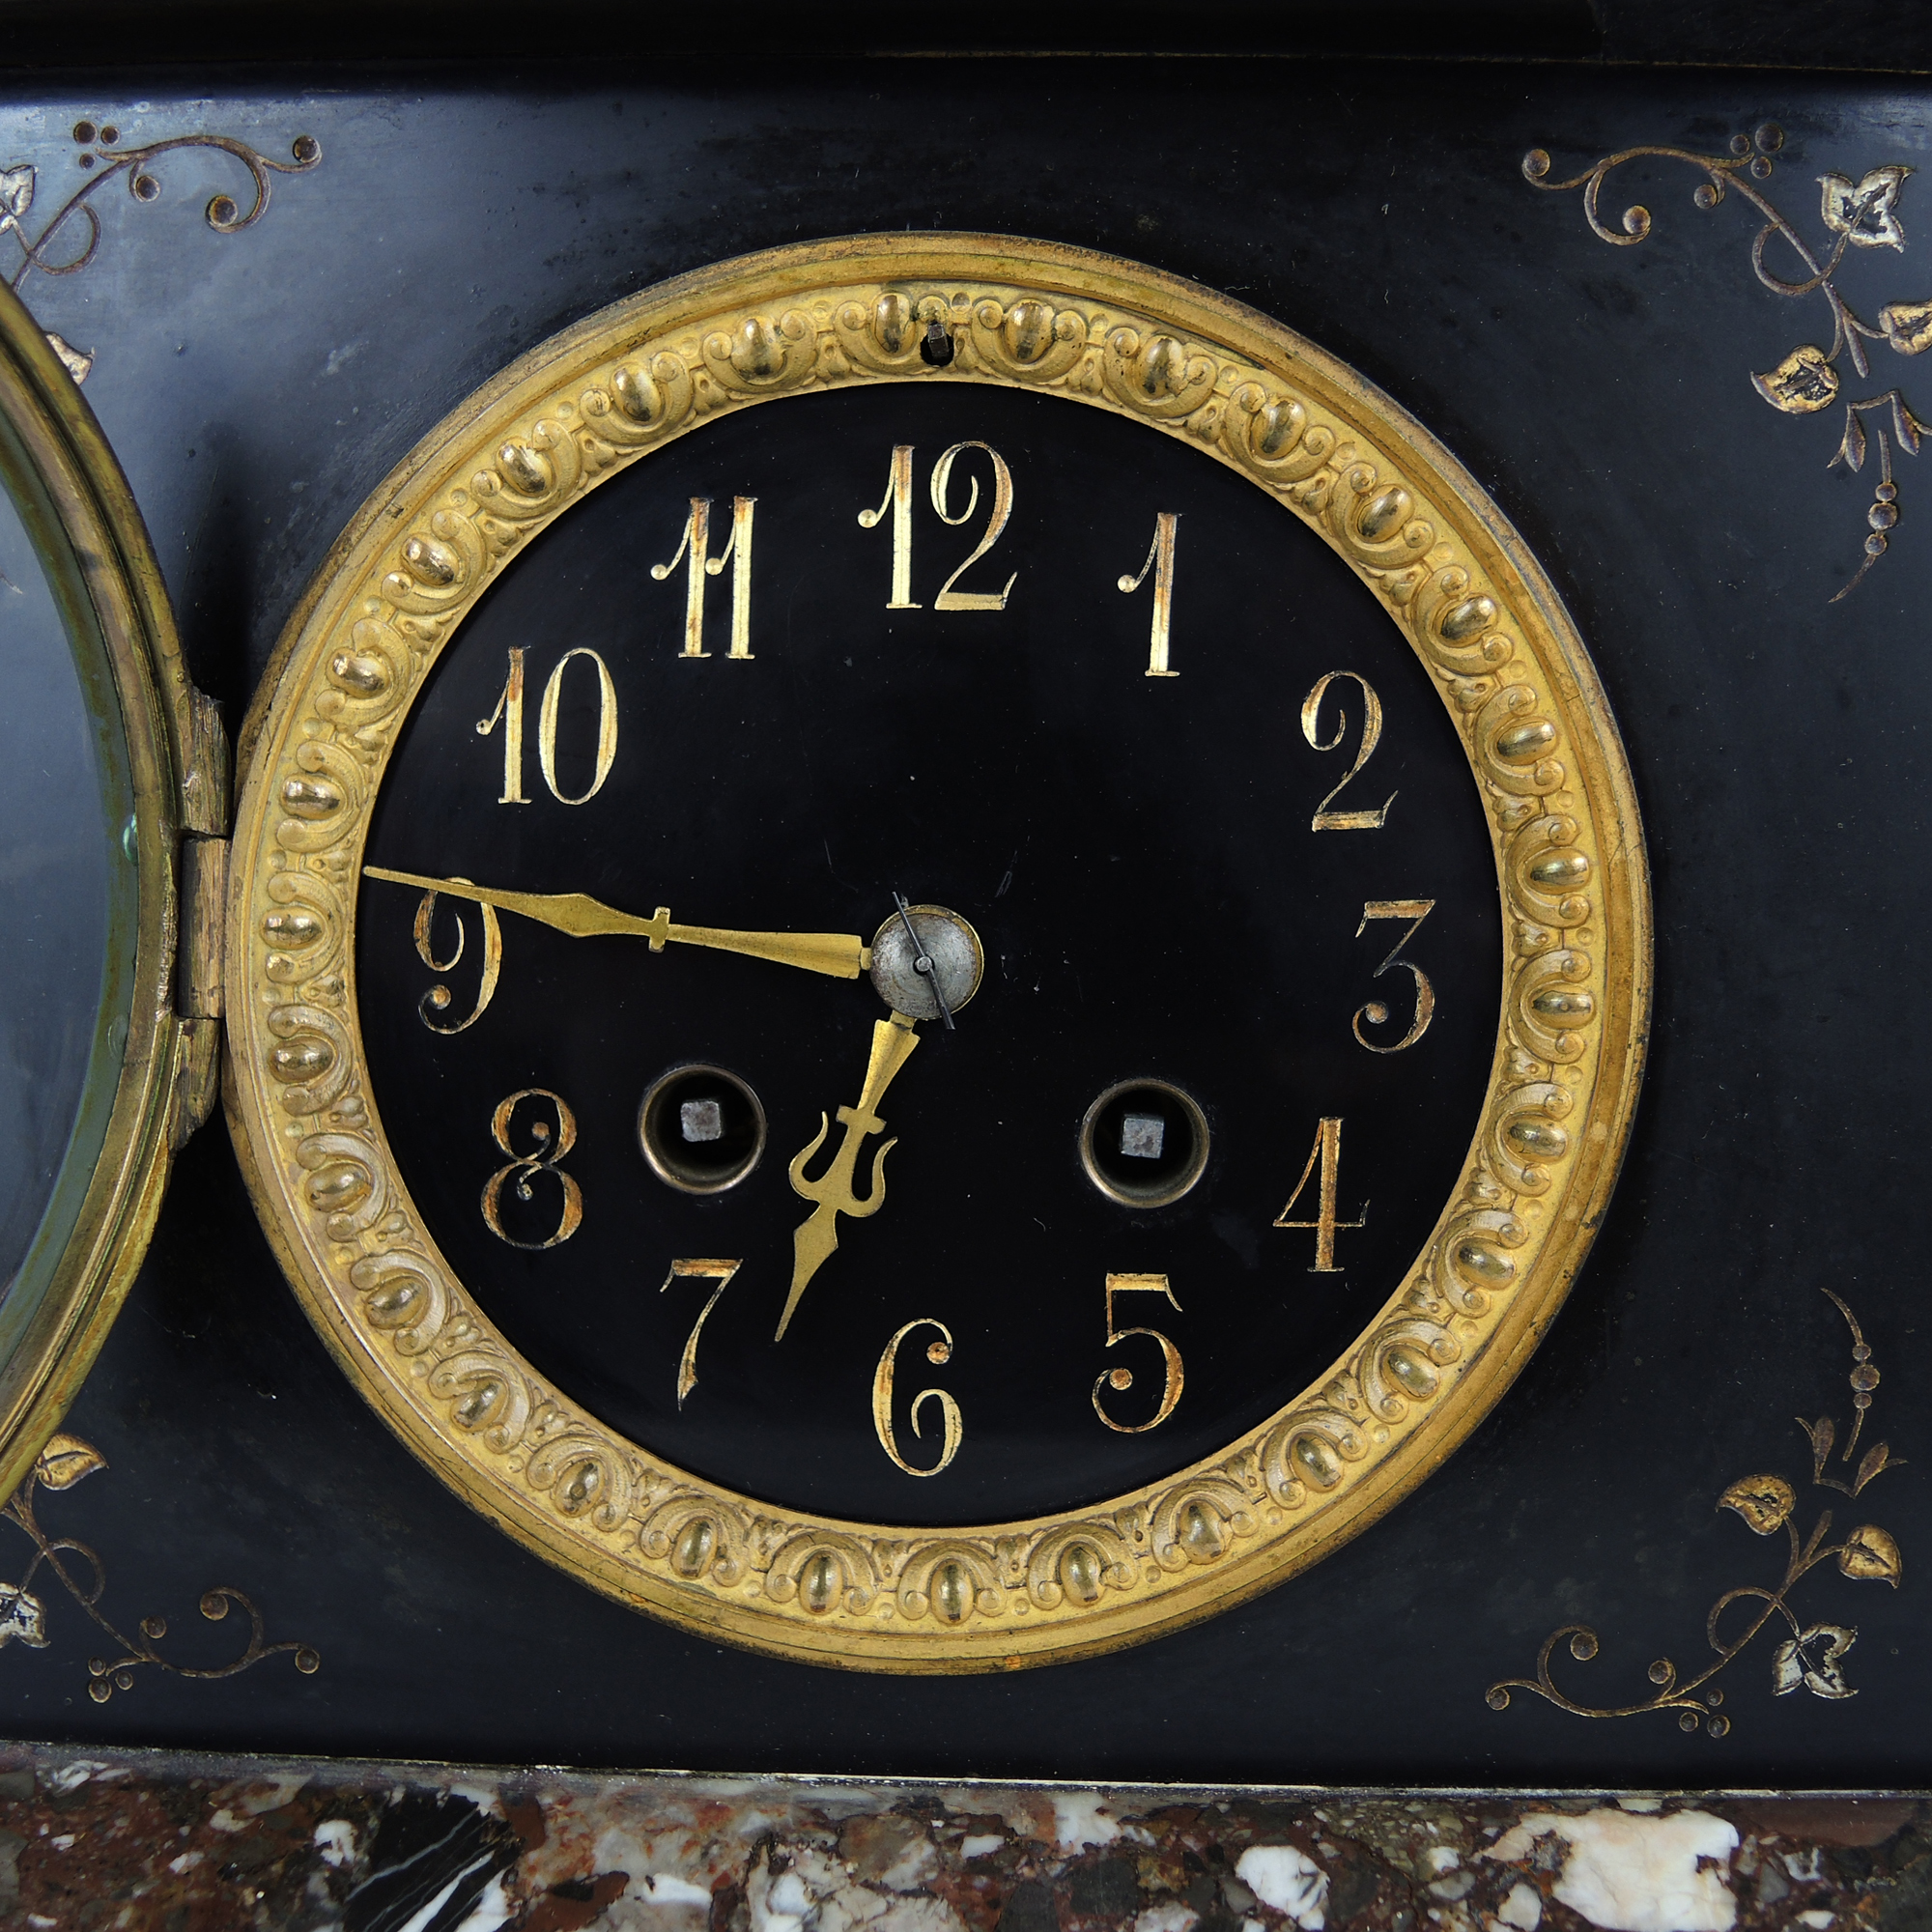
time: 6:46
